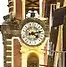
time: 4:12
